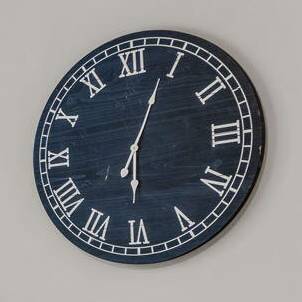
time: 6:03
